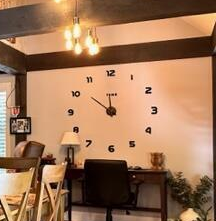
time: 11:51
